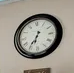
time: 6:35
